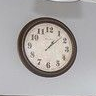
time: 1:07
